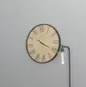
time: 10:20
